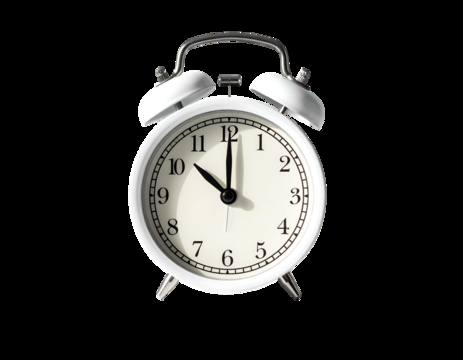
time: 10:00
